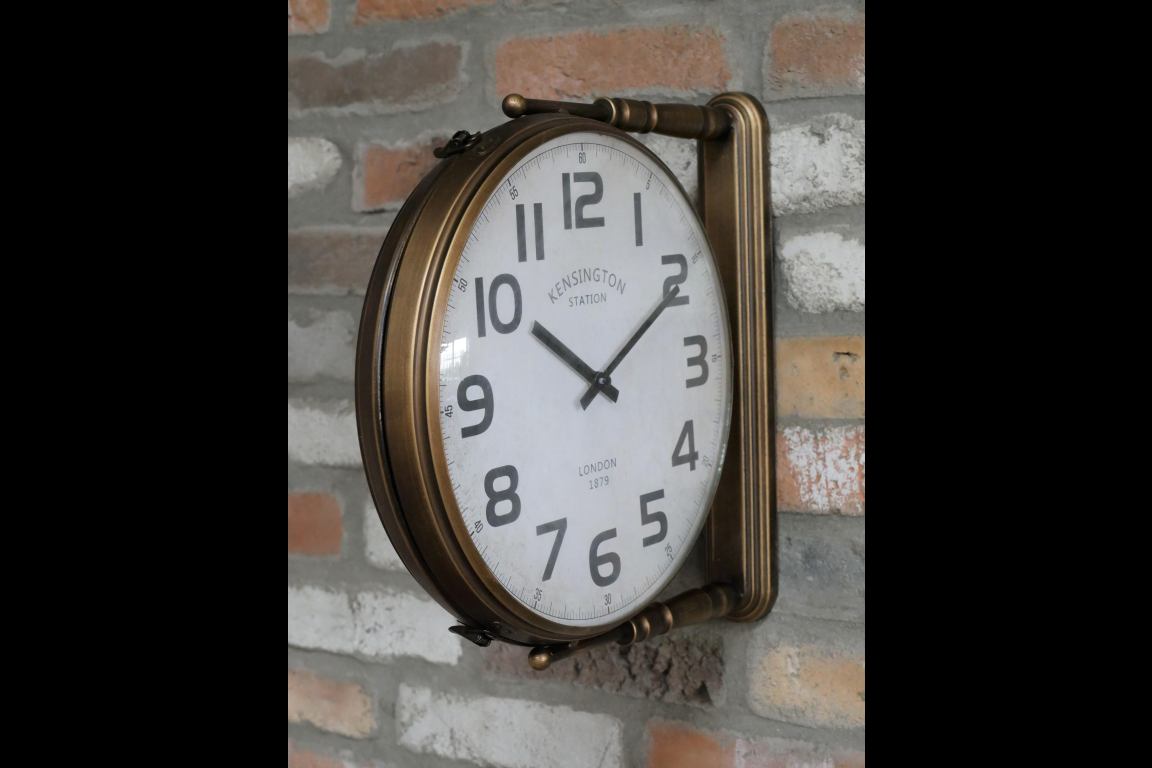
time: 10:10
